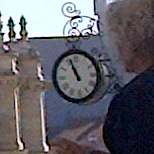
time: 10:56
